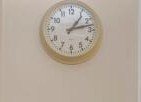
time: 1:12
